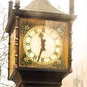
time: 11:32
